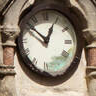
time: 12:51
